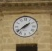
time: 1:38
